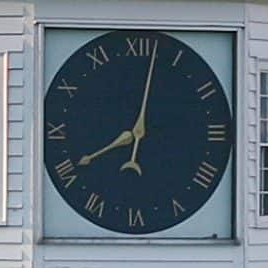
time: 8:02
